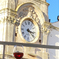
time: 3:21
